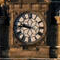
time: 9:45
